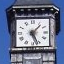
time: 1:26
